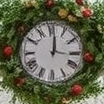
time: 12:16
